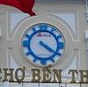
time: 4:20
